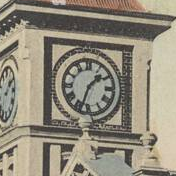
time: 1:33
